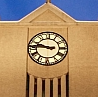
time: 9:45
